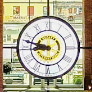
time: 8:47
